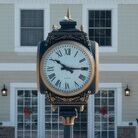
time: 10:14
